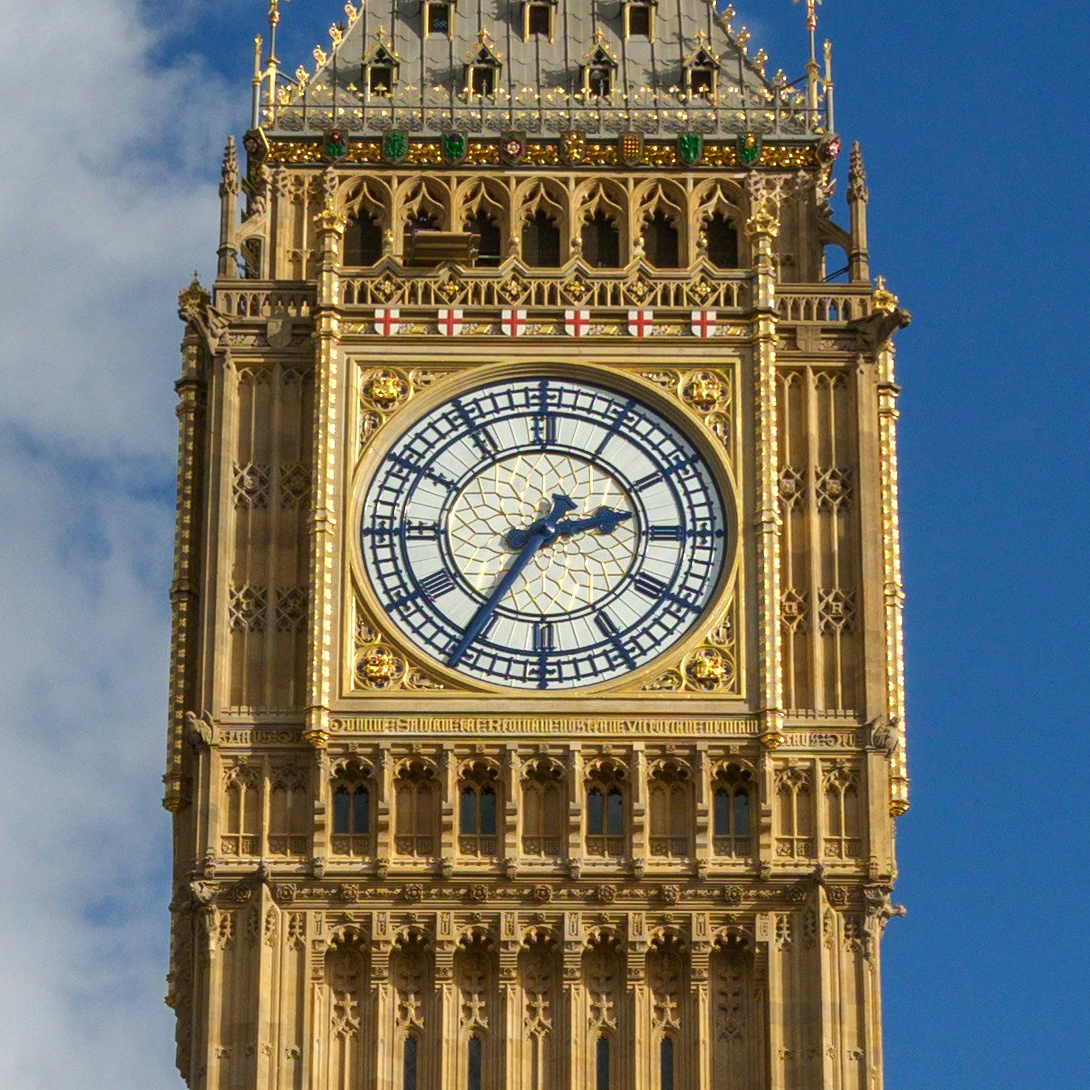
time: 2:35
